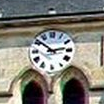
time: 2:51
